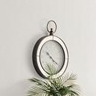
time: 10:20
